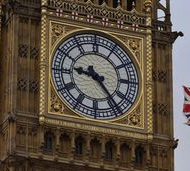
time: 9:23
